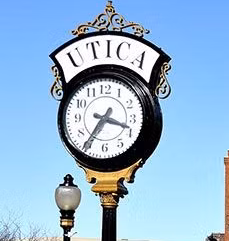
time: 3:35
